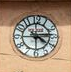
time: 4:14
